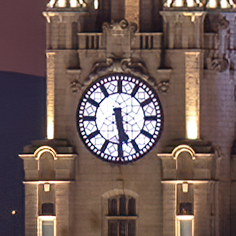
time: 5:29
